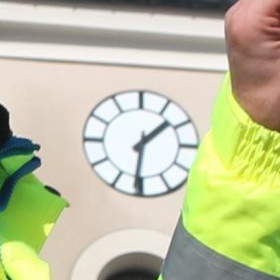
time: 1:30
